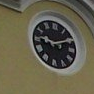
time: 9:10
